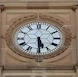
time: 5:29
